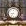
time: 8:36
